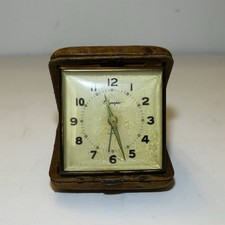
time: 11:26
